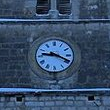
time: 9:19
